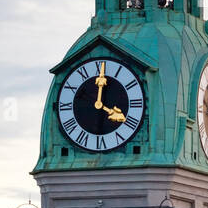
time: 4:01
